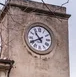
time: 10:40
